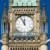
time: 11:55
